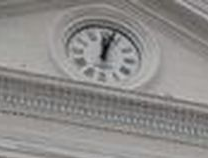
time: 12:02
